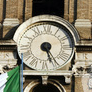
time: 5:26
